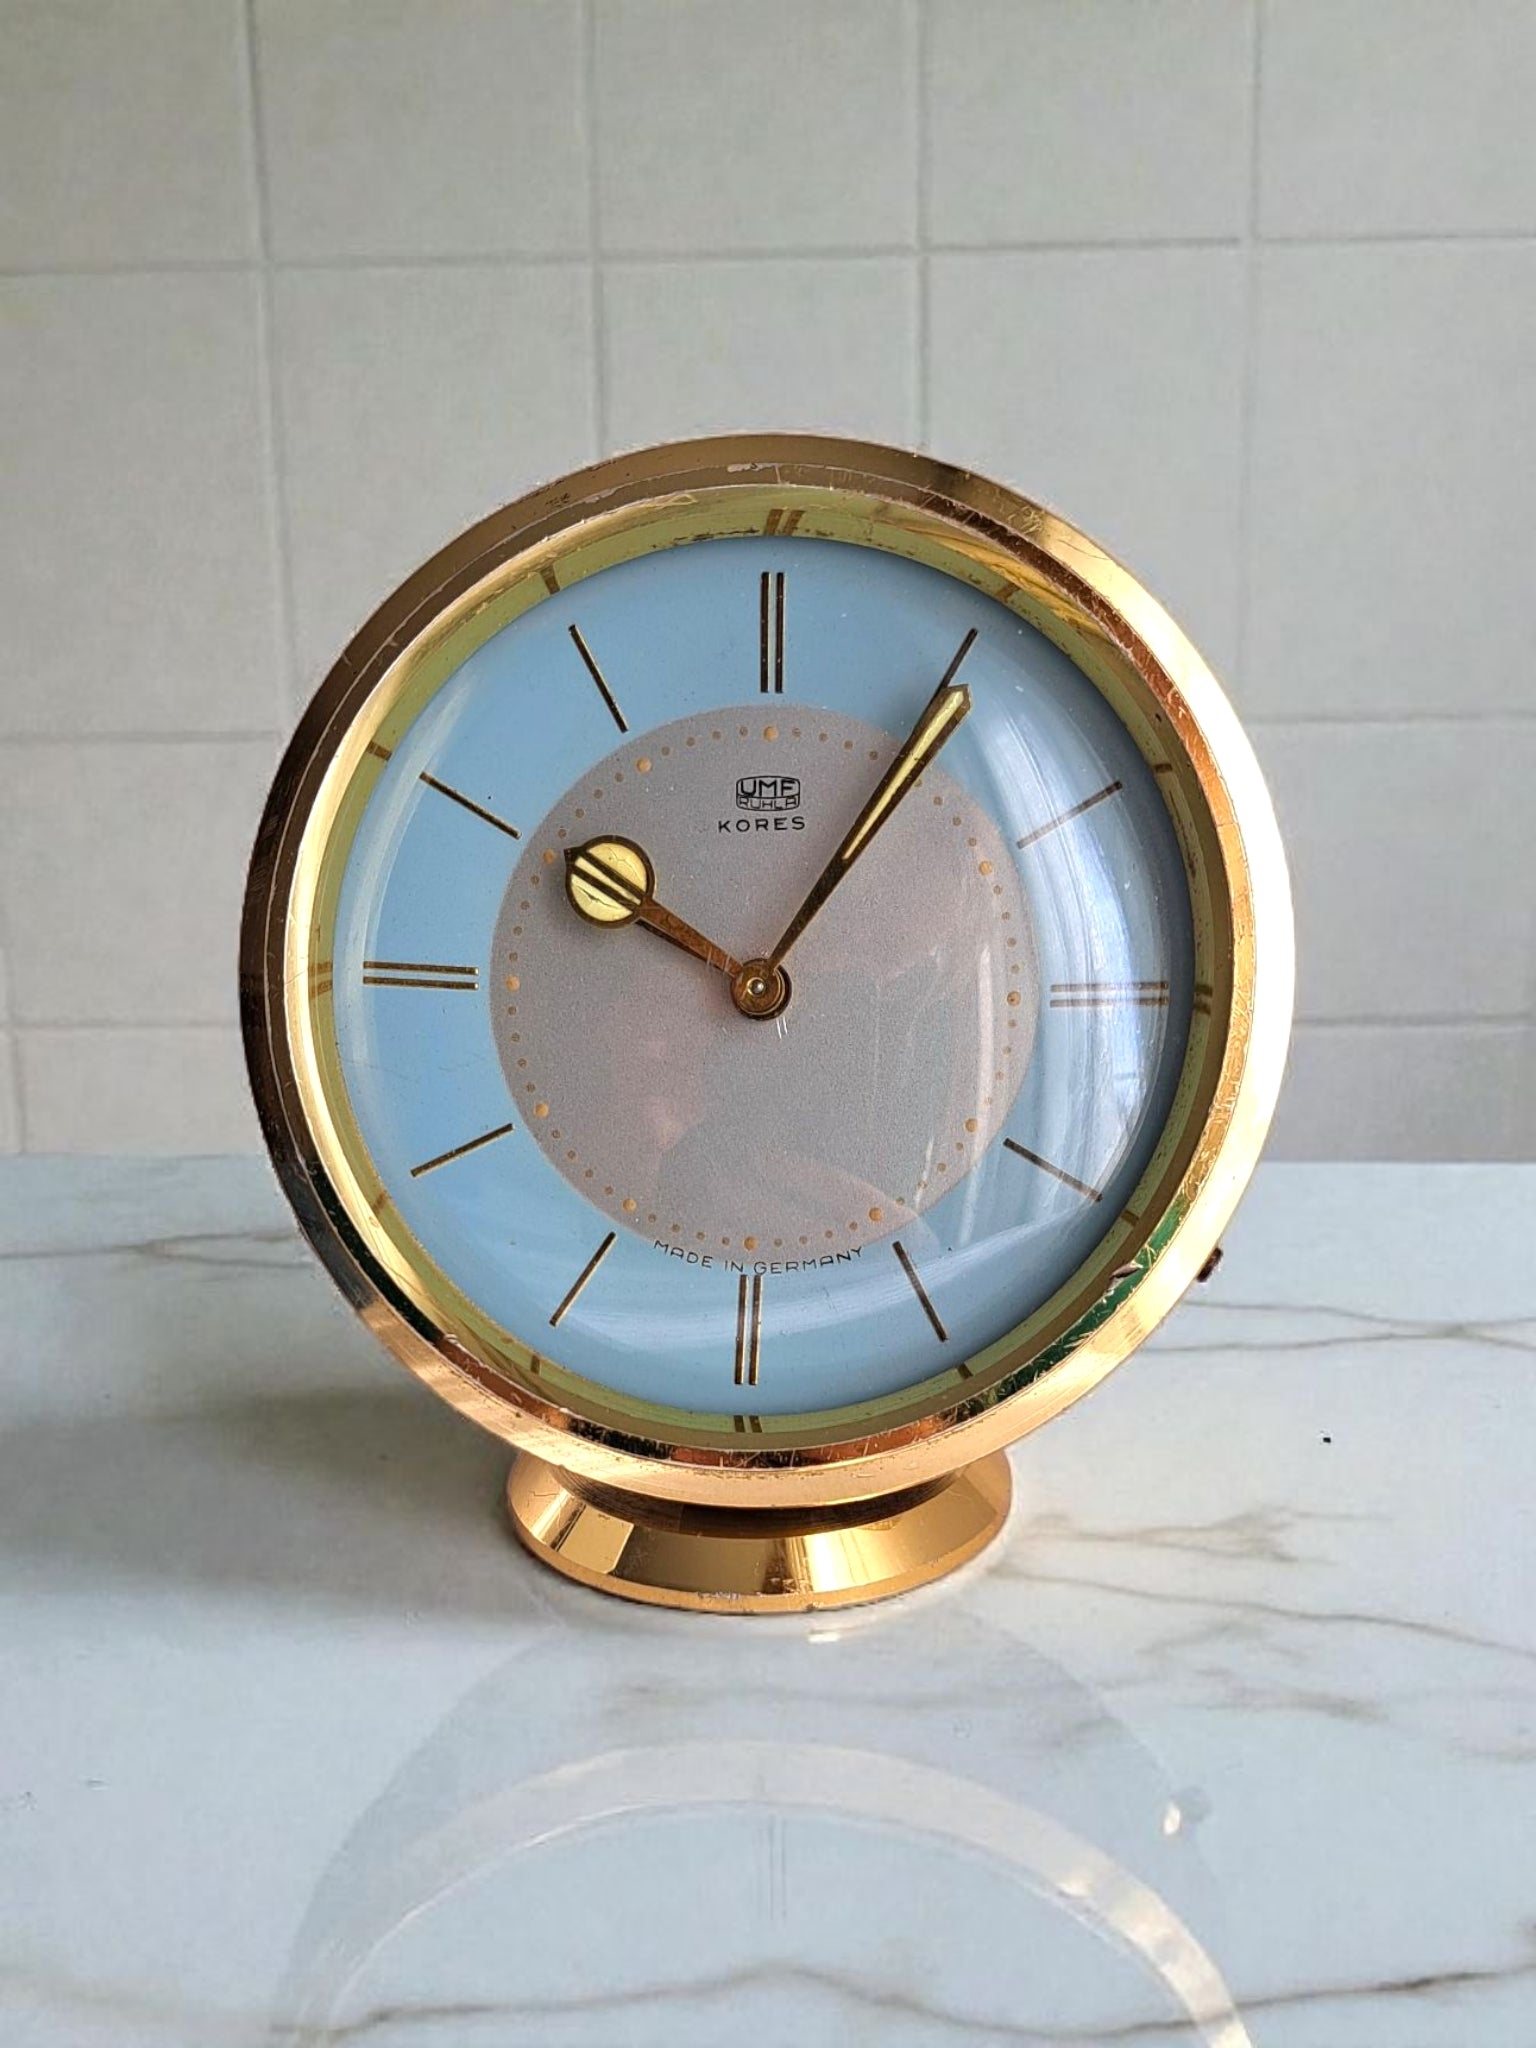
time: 10:05
